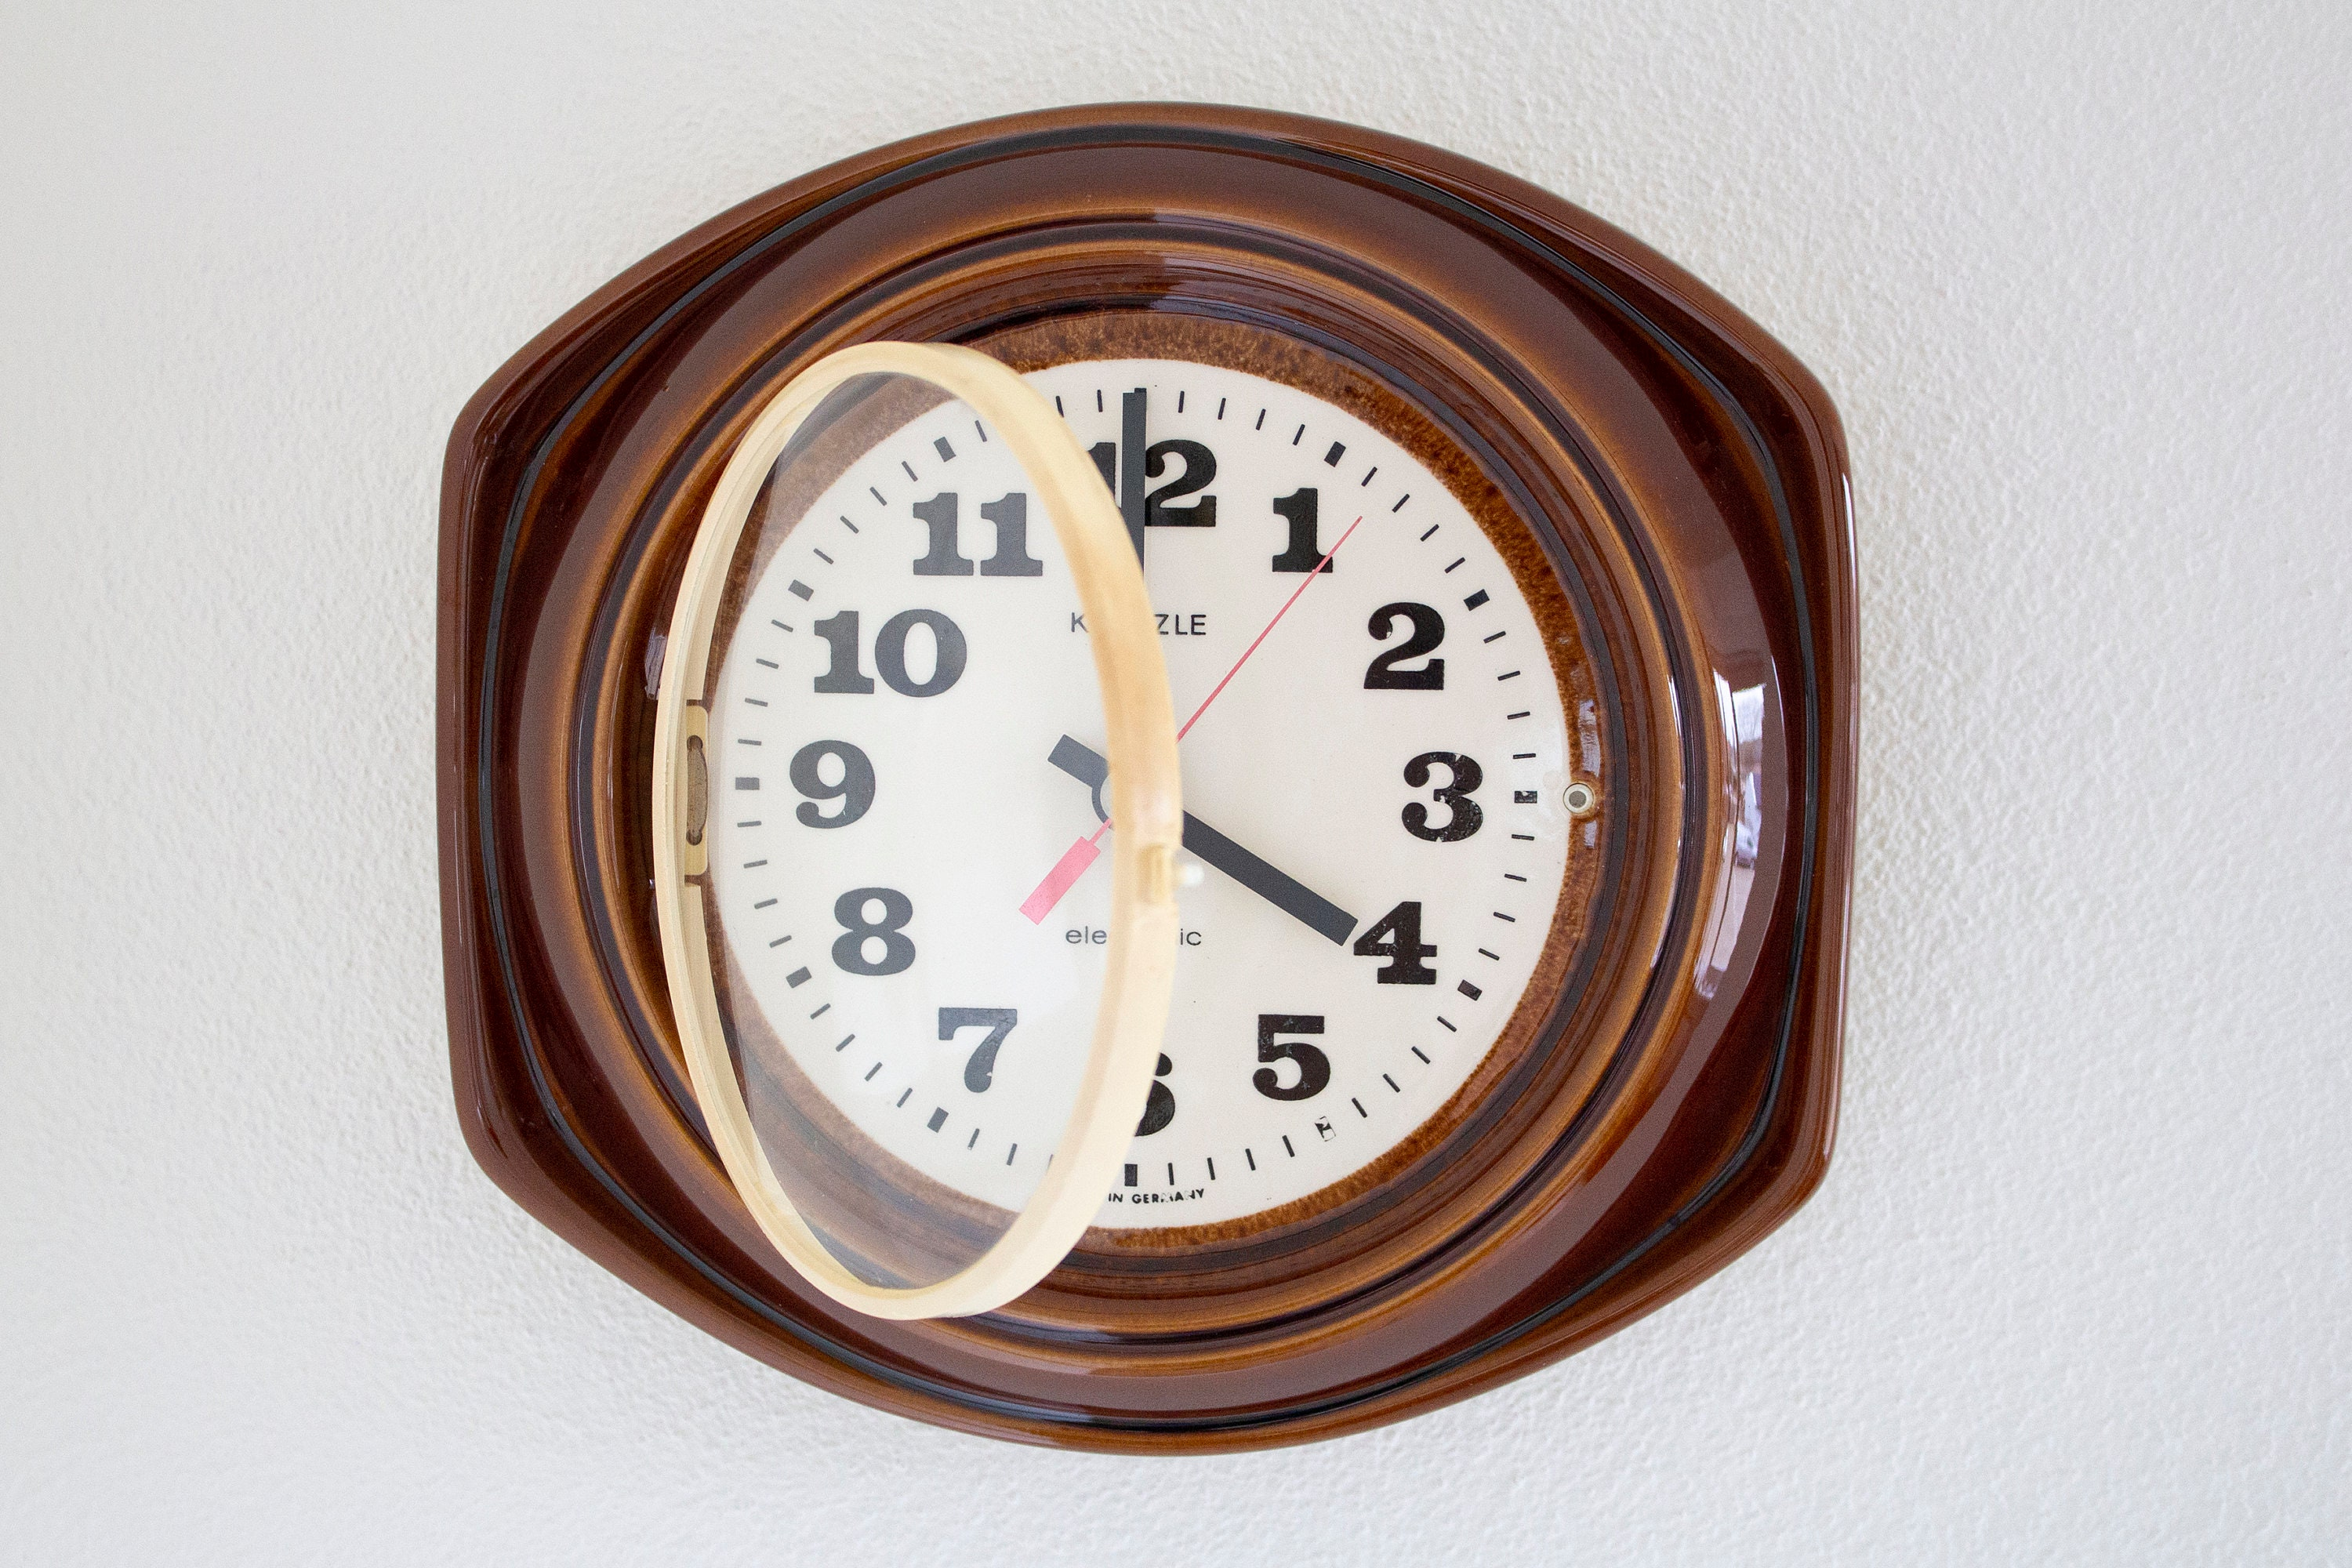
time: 3:58
